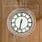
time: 6:32
